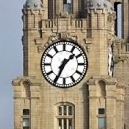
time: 1:34
